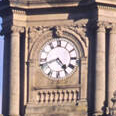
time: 4:41
